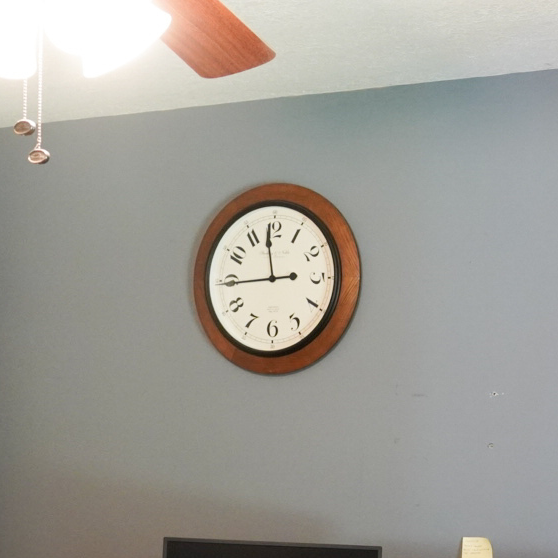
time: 11:44
